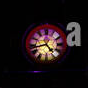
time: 4:42
